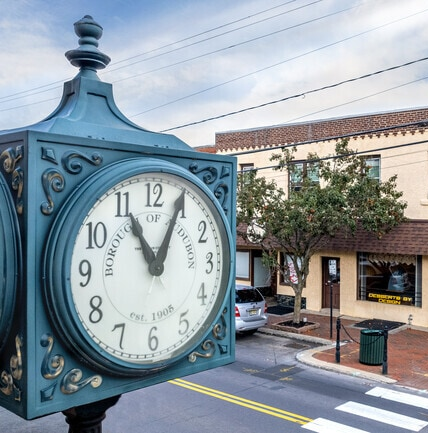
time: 11:04
